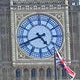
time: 4:41
